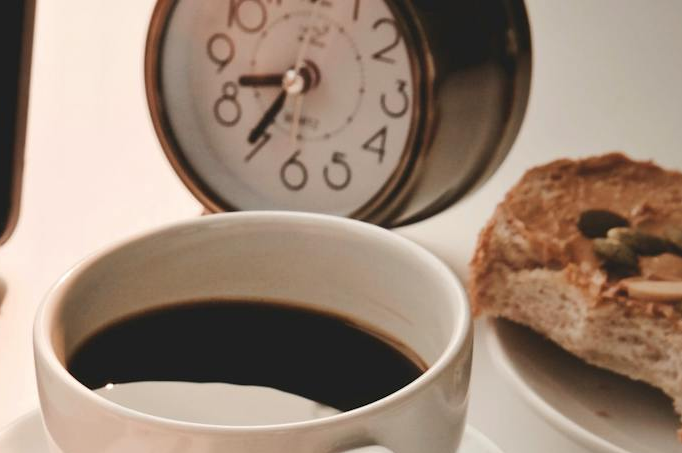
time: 8:35
